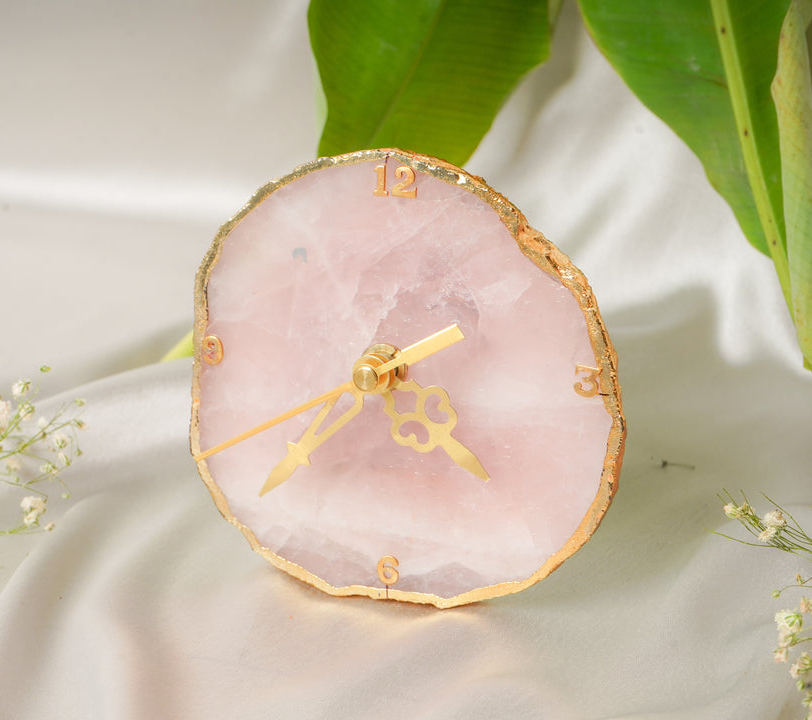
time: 4:37
